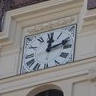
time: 12:12
